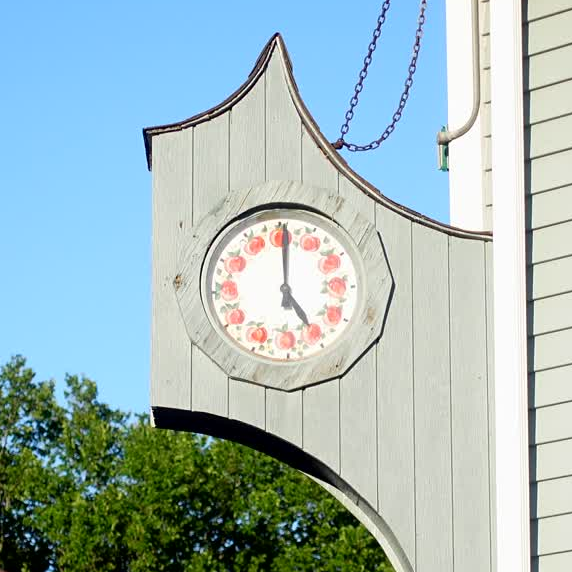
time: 5:00
